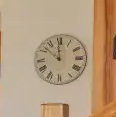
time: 11:51
